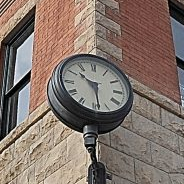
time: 10:28
